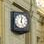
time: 12:26
